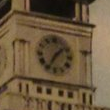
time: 1:34
